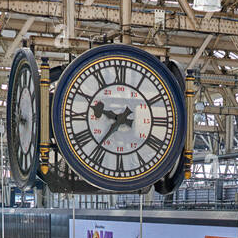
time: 9:36
